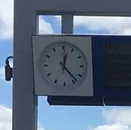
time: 12:23
